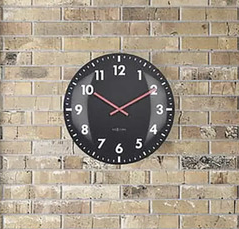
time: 1:50
